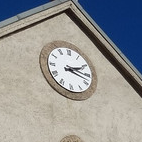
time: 2:17
